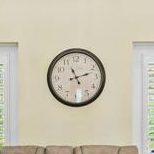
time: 11:12
